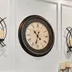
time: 10:32
